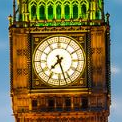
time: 7:27
